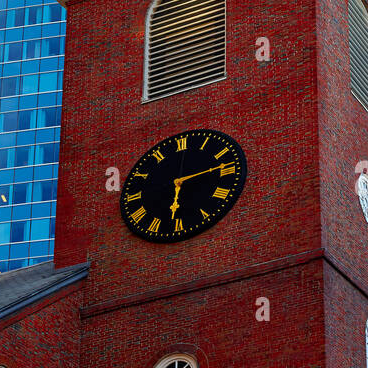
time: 6:13
